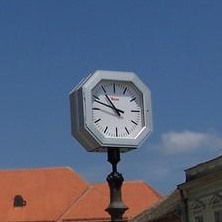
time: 10:48
